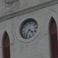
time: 4:35
